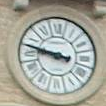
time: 8:47
